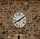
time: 8:09
